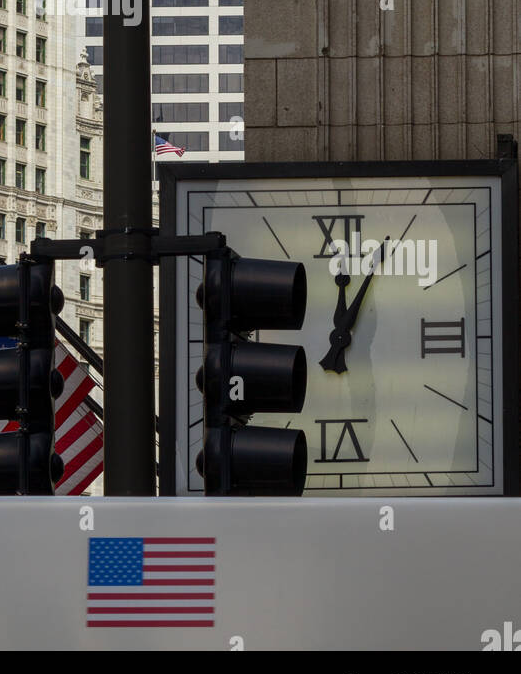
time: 12:04
